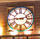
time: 9:12
